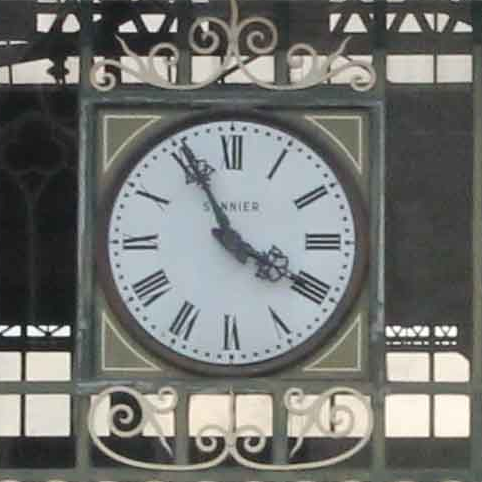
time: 3:55
